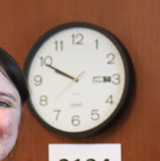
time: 9:49
